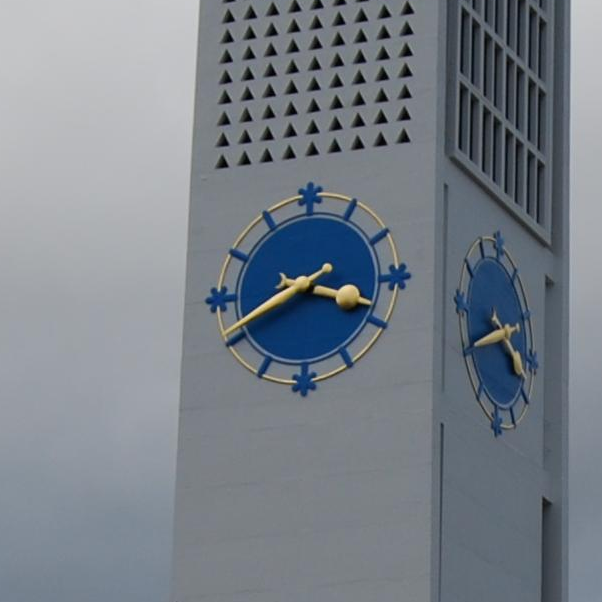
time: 3:40
